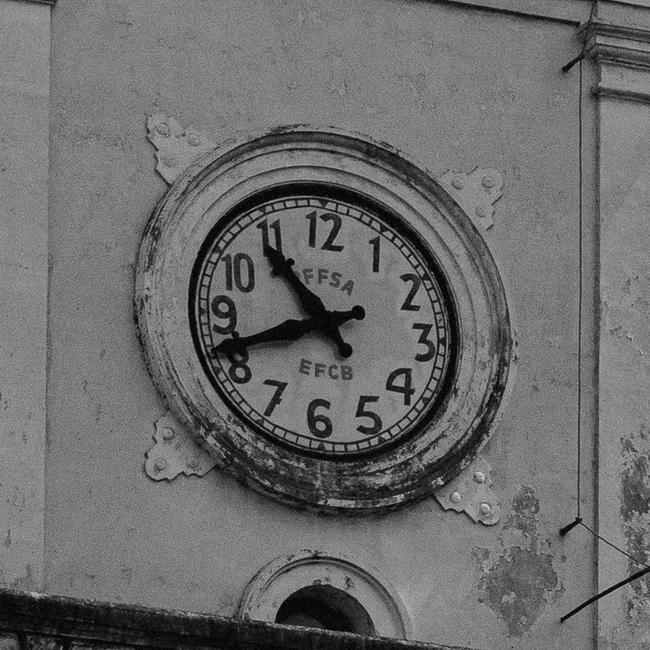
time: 10:41
